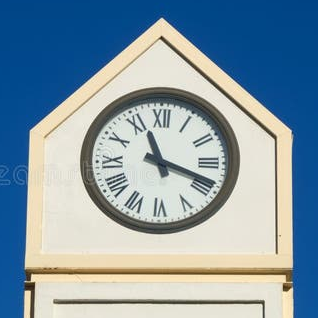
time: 11:18
